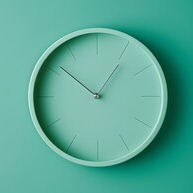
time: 12:51
